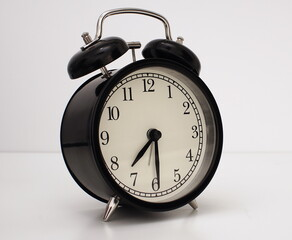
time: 7:29
